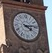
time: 4:13
